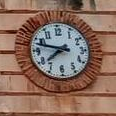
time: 7:47
